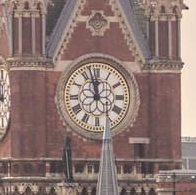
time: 11:57
